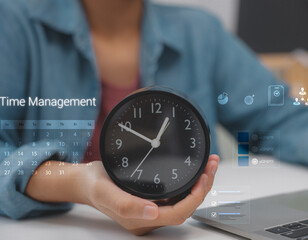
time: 12:49
